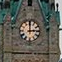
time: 2:59
